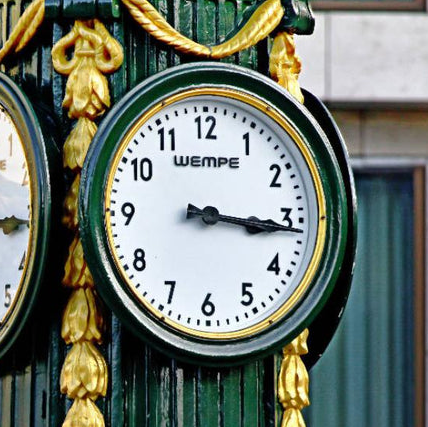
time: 3:15
